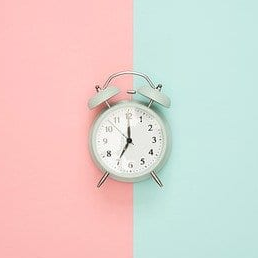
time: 7:00
